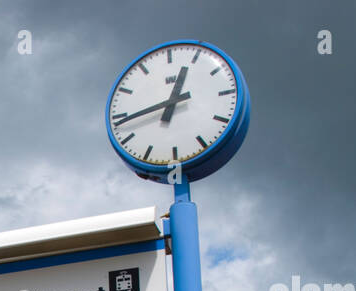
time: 12:43
